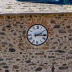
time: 2:16
